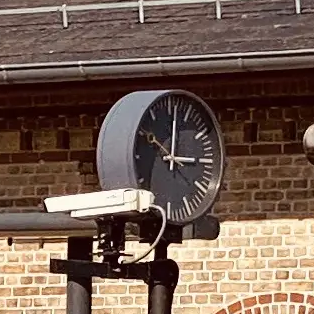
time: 3:01
